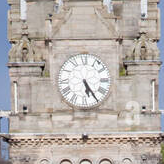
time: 5:24
